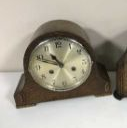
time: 10:48
